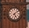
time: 5:08
